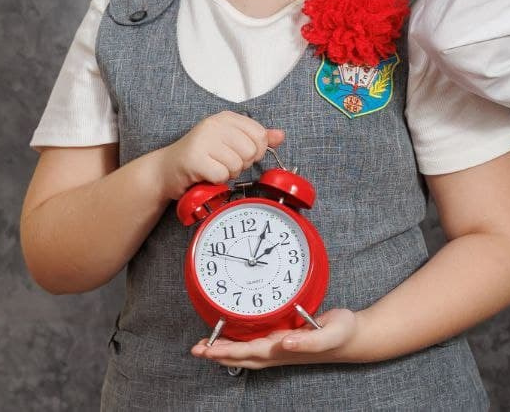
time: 2:04
